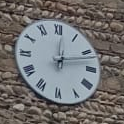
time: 12:12
